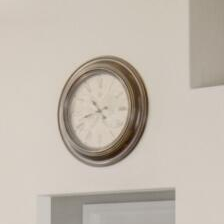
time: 10:42
